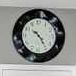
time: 10:24
